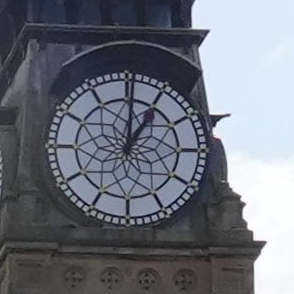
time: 1:00
